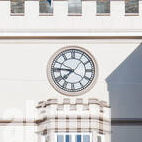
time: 7:46
